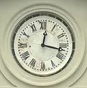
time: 12:16
